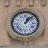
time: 1:07
